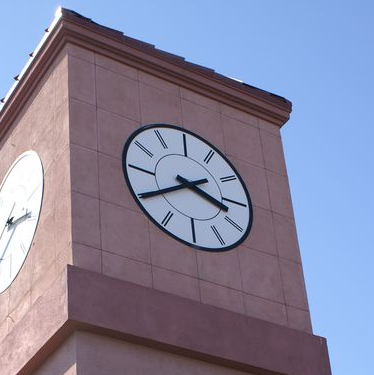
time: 3:40
